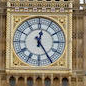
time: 12:24
